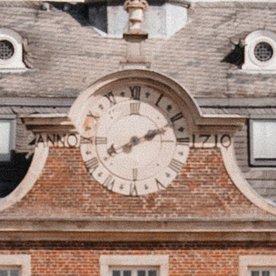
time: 2:11
